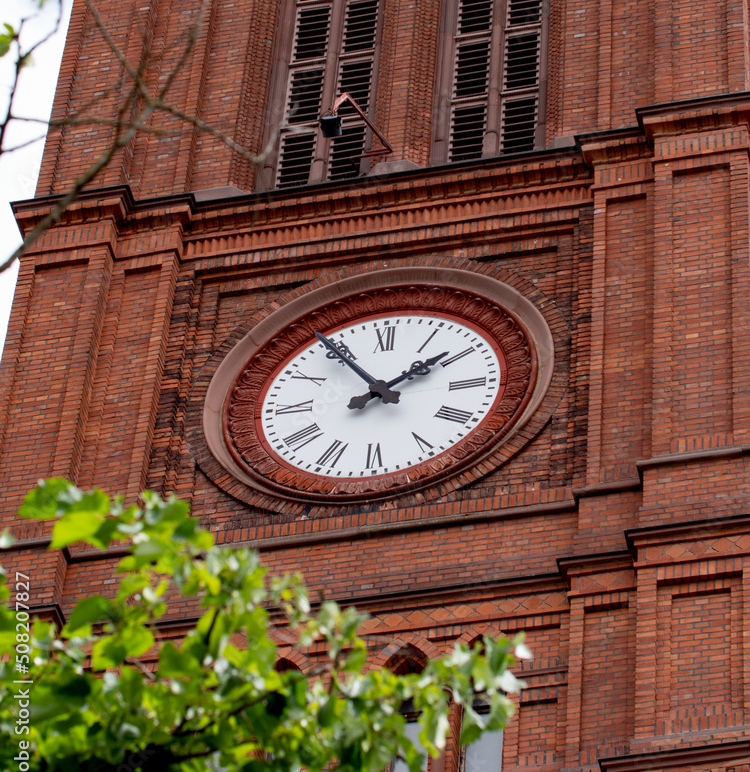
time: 1:54
